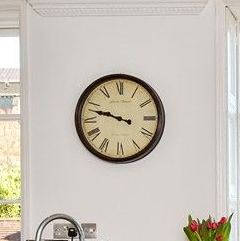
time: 9:47
